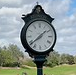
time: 1:38
